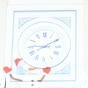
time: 9:10
